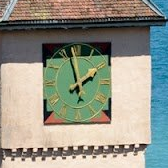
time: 1:57
